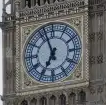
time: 6:56
